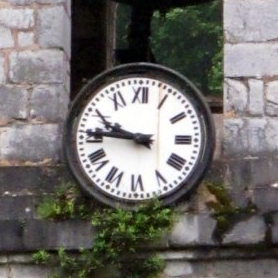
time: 9:45
